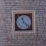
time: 11:22
